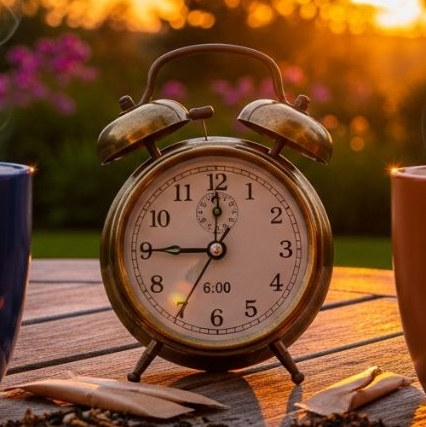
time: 9:00
